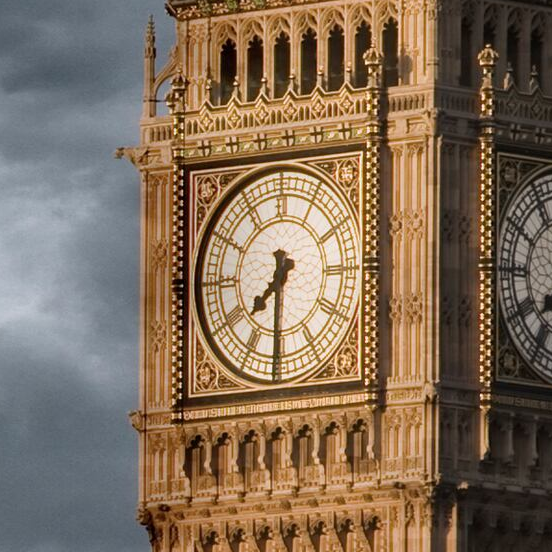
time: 7:30
